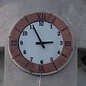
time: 2:55
